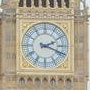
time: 2:18
